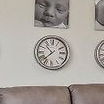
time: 10:37
